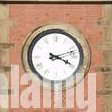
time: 2:18
